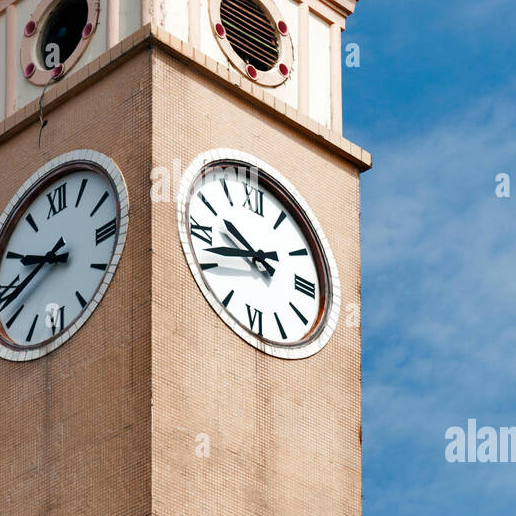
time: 9:41
